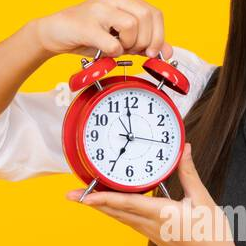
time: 6:59
